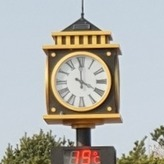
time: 4:00
